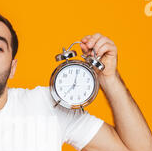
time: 7:00
